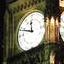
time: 11:48
